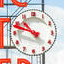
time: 10:48
